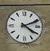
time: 4:10
